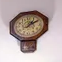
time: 1:09
